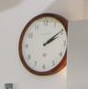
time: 2:09
